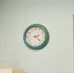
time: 2:22
